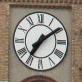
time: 7:09
